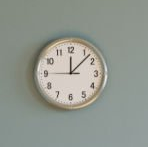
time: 12:07
